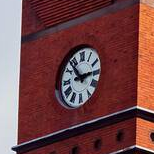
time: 2:53
